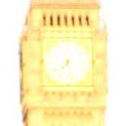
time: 7:27
